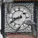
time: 8:40
